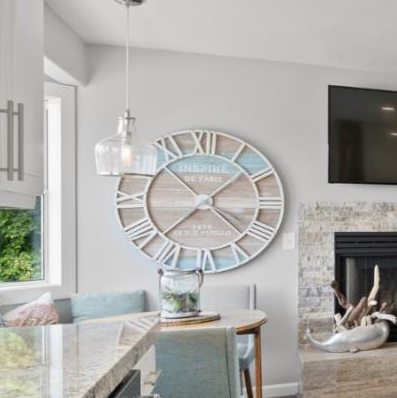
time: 1:37
